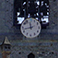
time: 11:42
